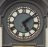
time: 5:08
